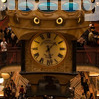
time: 1:28
